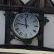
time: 11:46
